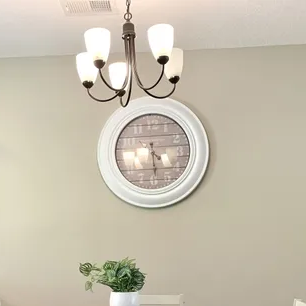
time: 4:29
